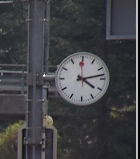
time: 4:13
